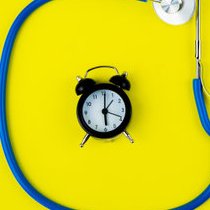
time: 6:01
